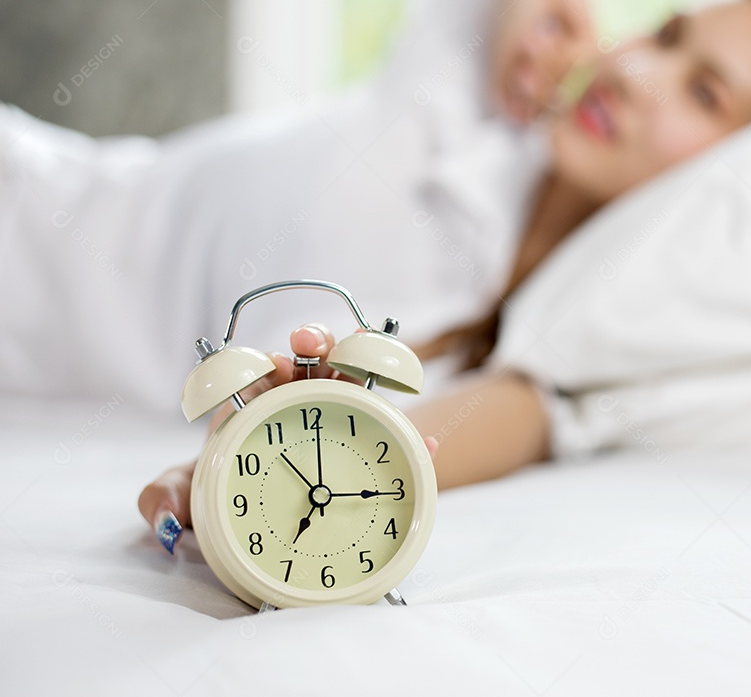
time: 7:15
